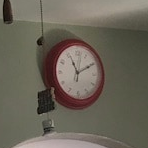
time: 11:10
